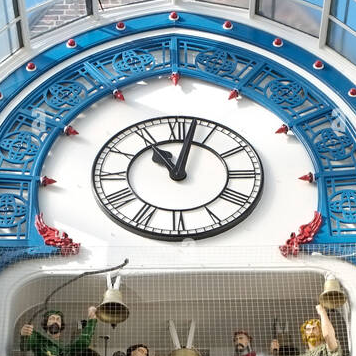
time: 11:02
